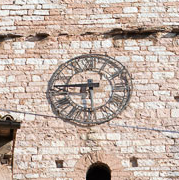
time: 5:45
